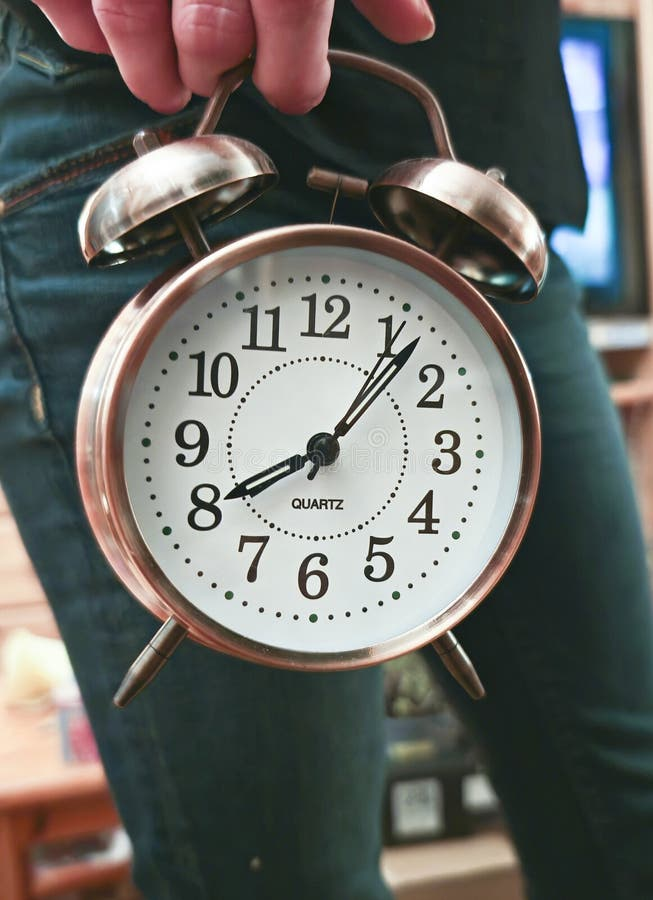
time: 8:06
